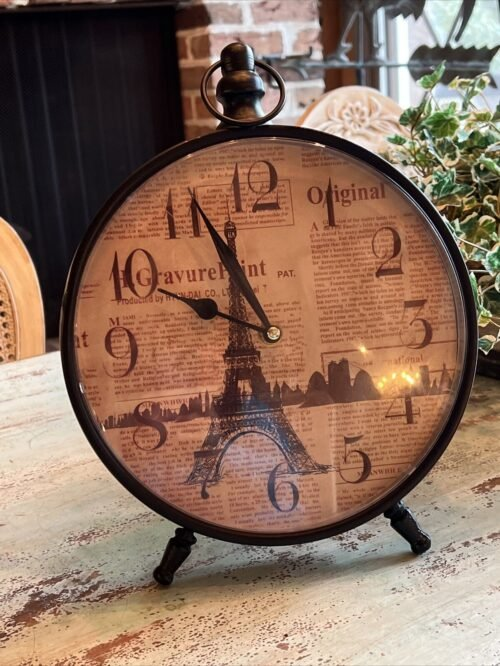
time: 9:55
